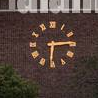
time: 6:14
